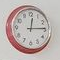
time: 12:14
